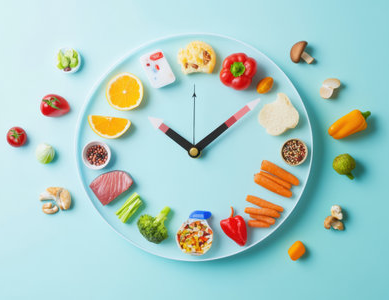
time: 10:07
